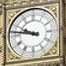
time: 9:46
